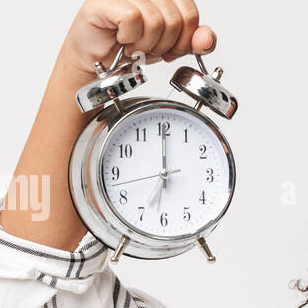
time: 7:00
